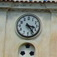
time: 3:23
